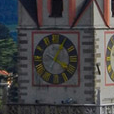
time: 4:04
